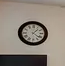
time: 1:21
